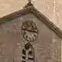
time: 2:46
